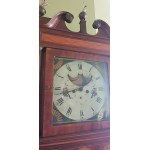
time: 1:42
